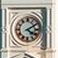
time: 4:09
